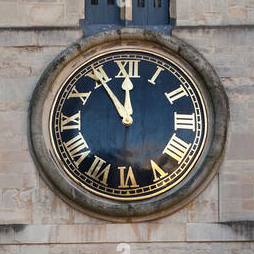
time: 11:54
